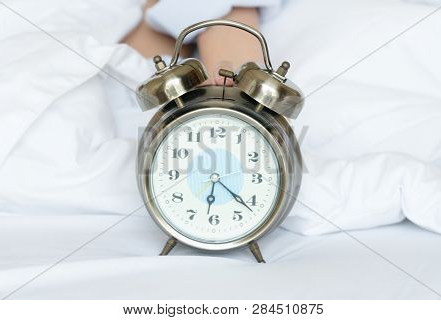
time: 6:21
